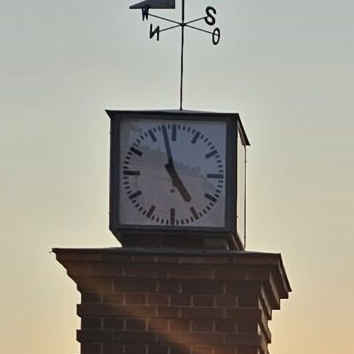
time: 4:57
